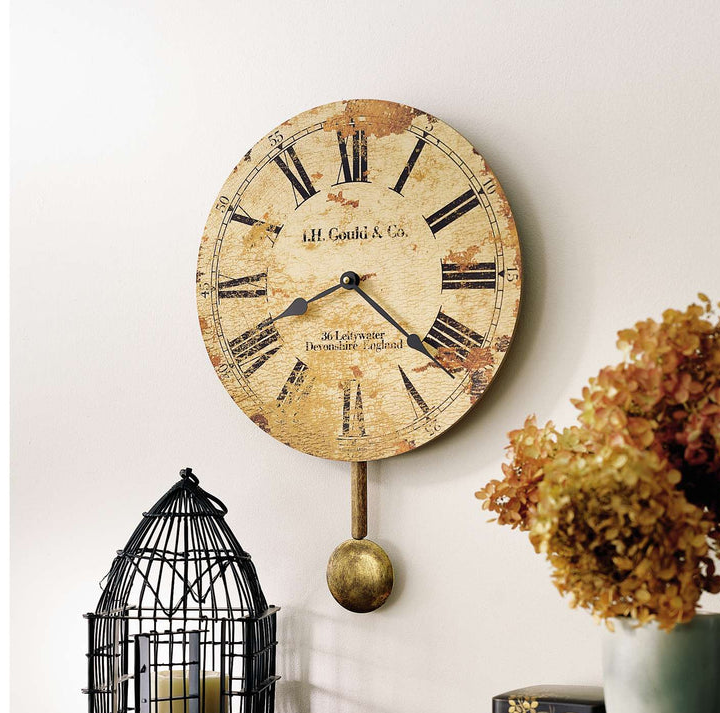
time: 8:21
